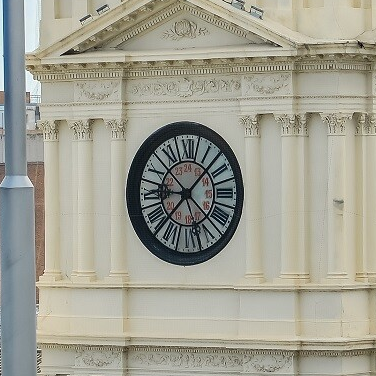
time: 9:07
